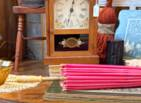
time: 12:32
